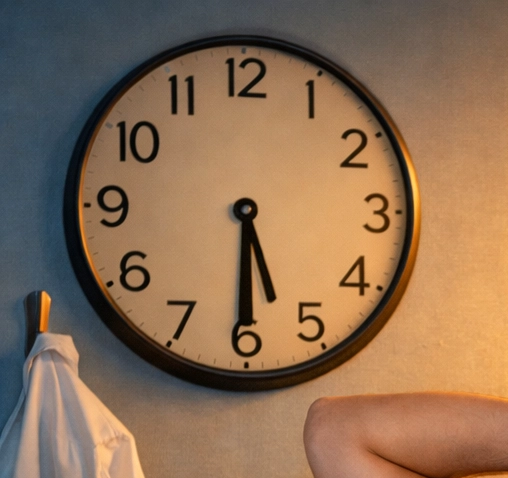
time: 5:30
